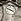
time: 3:48
